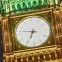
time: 6:46
